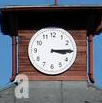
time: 3:14
